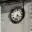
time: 4:33
